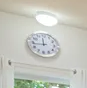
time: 11:44
